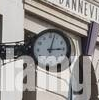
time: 3:02
